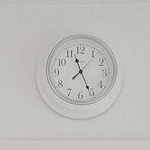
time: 11:25
